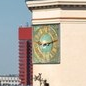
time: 9:12
